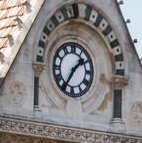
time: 1:35
